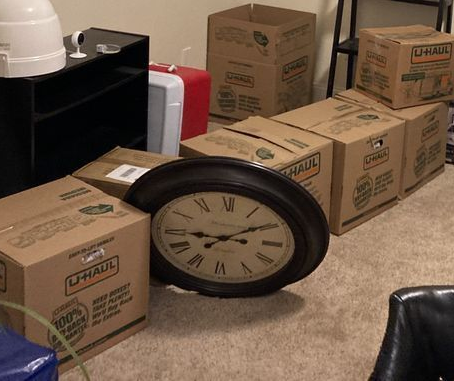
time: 9:09
